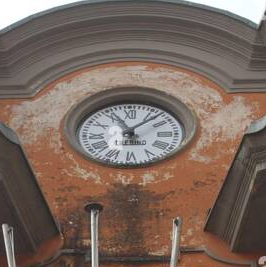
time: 11:07
